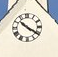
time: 10:20
